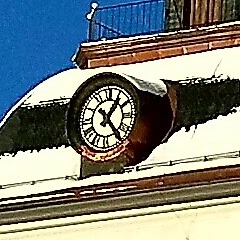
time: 1:23
